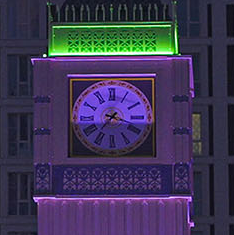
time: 7:18
